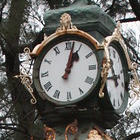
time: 1:02
